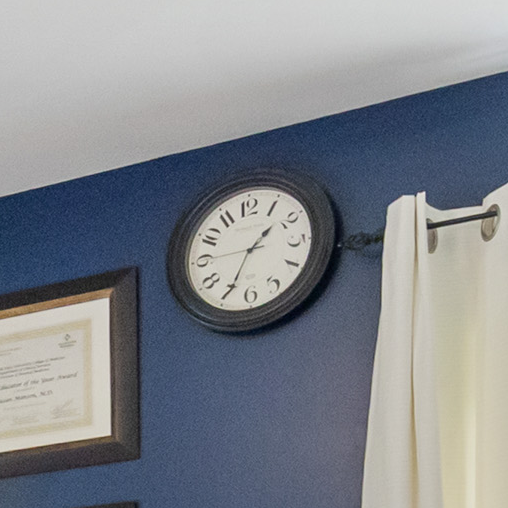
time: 1:34
